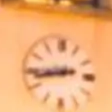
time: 8:43
